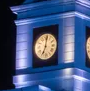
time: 7:01
